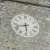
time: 5:42
